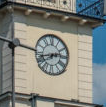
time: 2:42
